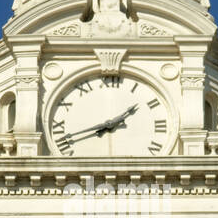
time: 1:42
